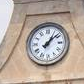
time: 1:08
